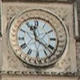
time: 11:21
